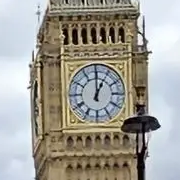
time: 1:00
